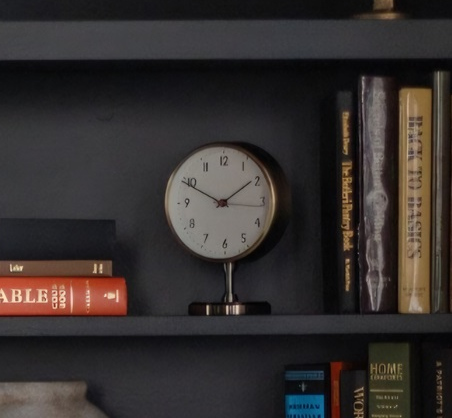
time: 1:49
